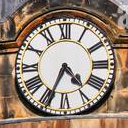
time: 4:34
